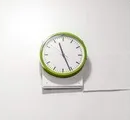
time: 11:26
